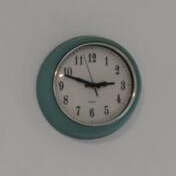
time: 2:48
